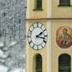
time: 2:17
